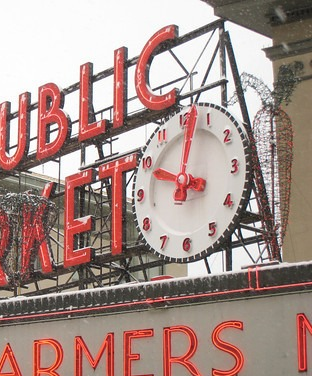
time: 10:02
